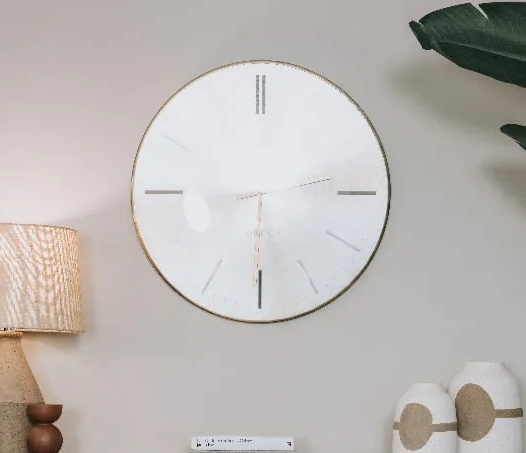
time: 2:30
